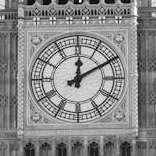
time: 12:09
